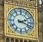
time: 2:18
